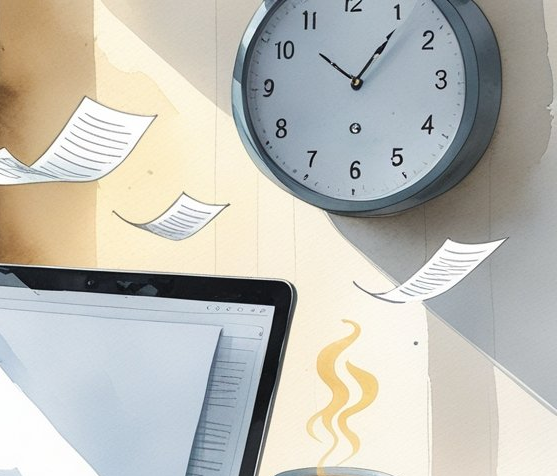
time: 10:06
